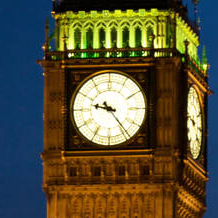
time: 9:23
